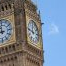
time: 11:46
